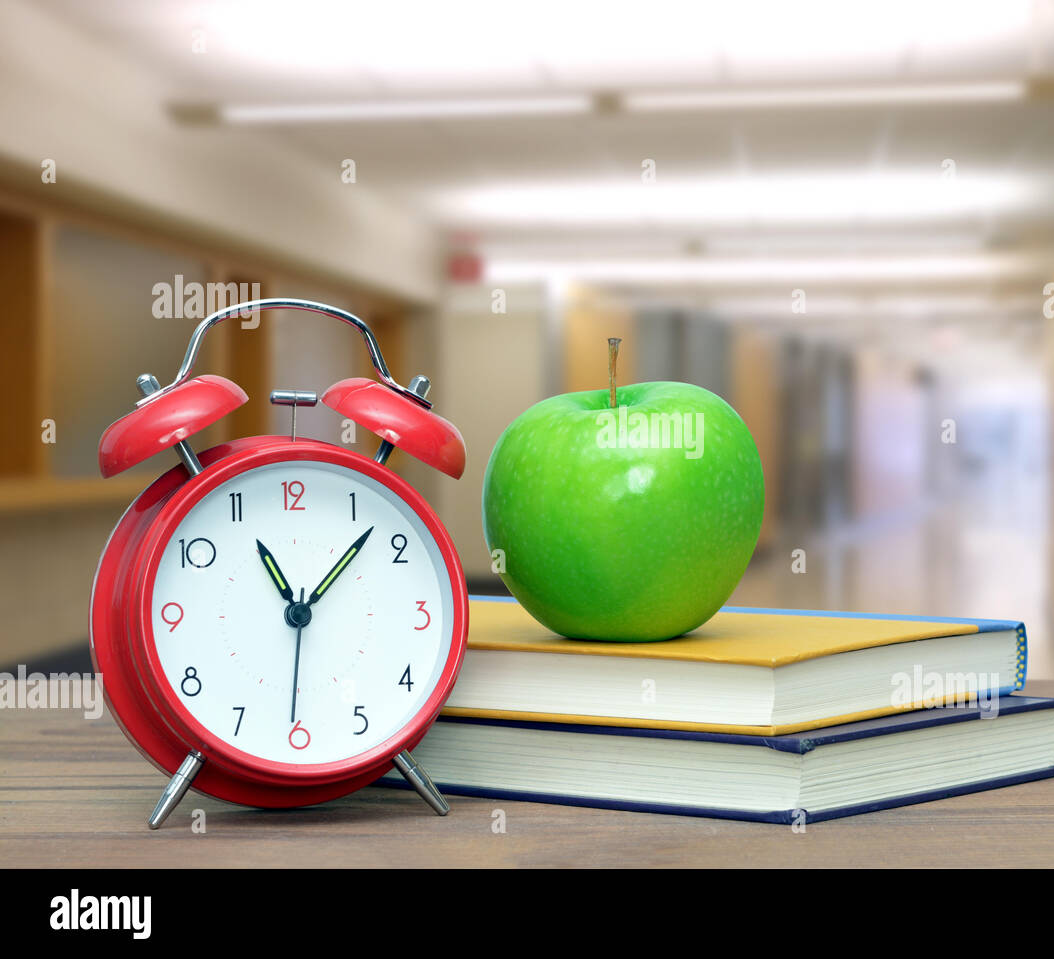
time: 11:07
